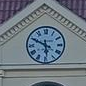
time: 5:49
